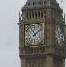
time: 11:08
